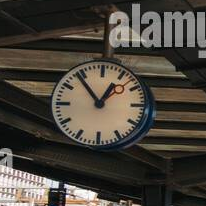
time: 12:53
